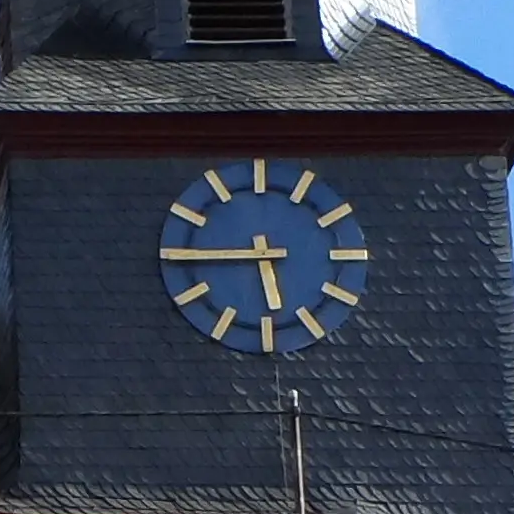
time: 5:45
